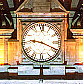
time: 9:19
